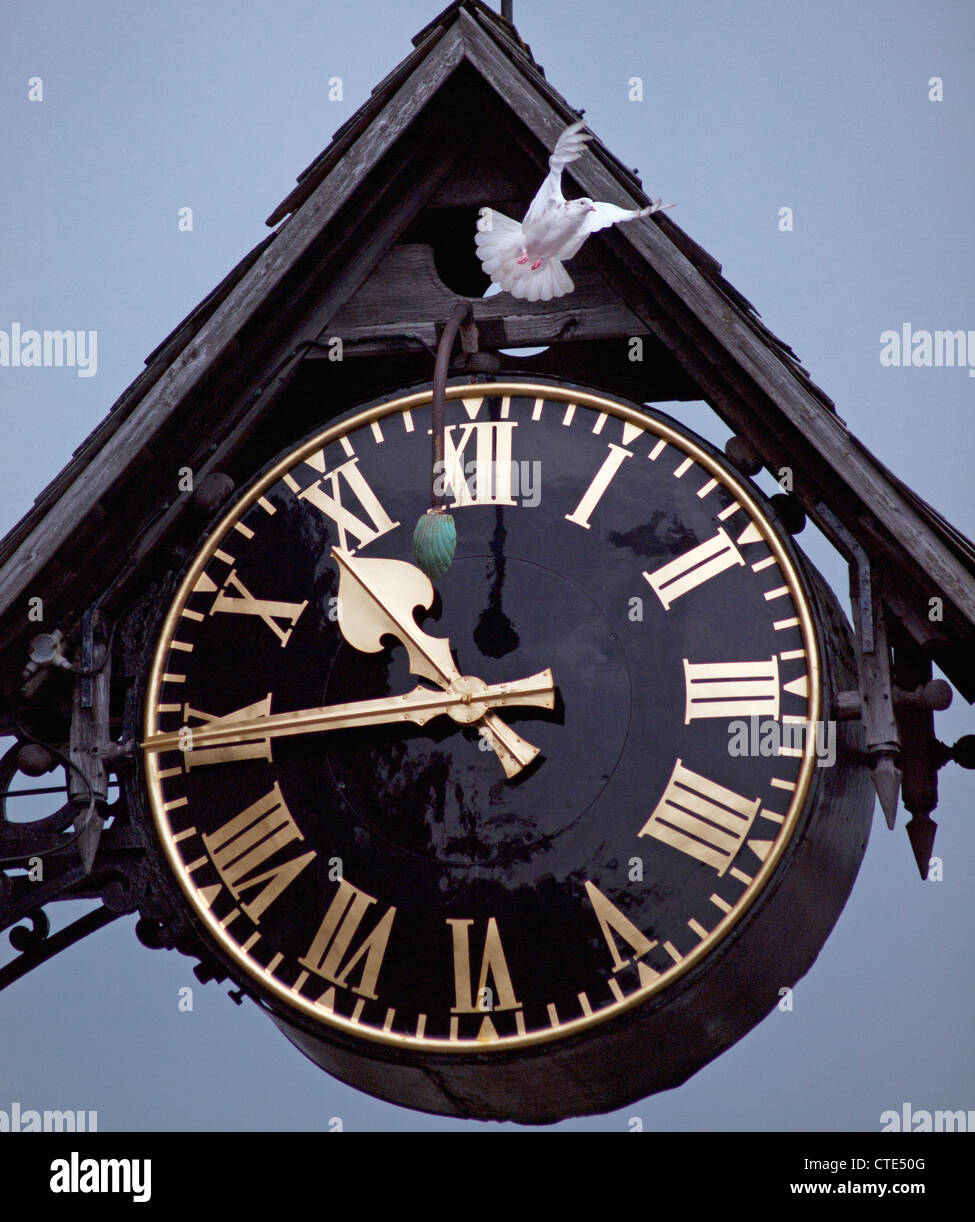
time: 10:45
